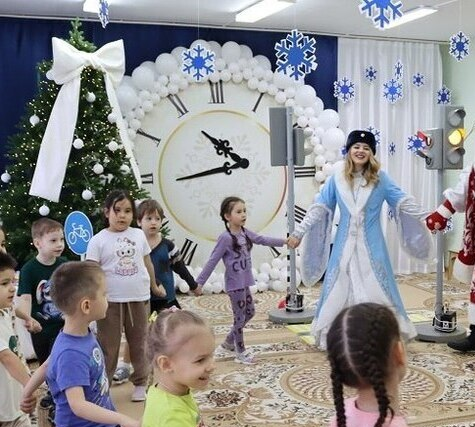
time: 10:43
